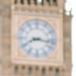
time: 8:16
